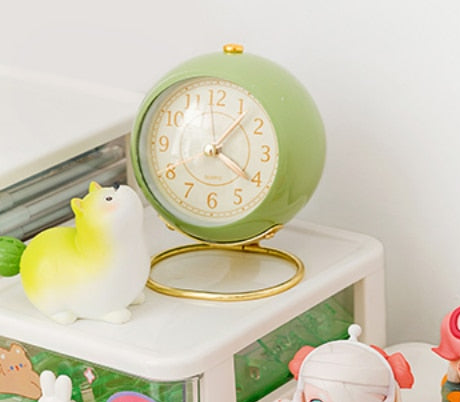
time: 1:20
